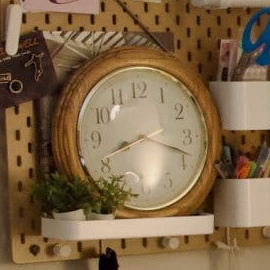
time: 8:18
